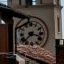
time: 3:37
